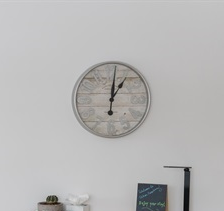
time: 1:01
